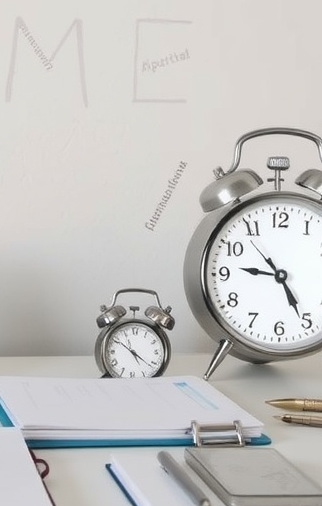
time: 9:25
